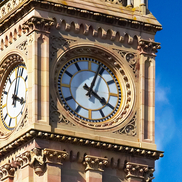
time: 4:03
